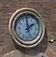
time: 1:59
